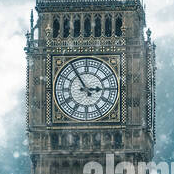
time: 2:54
